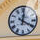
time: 12:19
